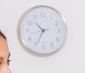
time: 10:34
